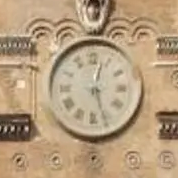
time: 12:26
